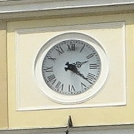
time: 2:21
